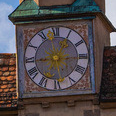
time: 1:14
